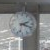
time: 2:18
